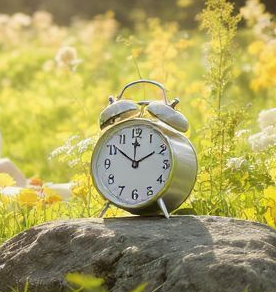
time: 1:51
